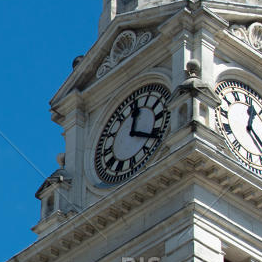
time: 12:20
